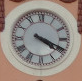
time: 4:19
